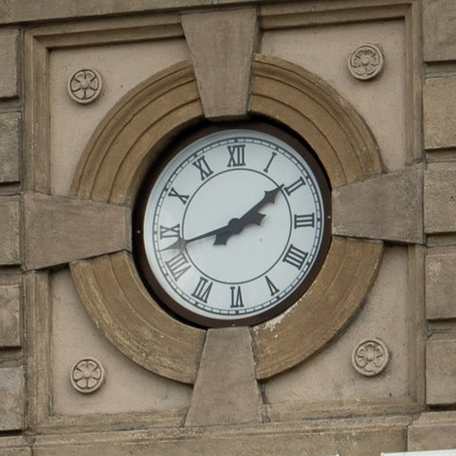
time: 1:42
